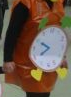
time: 7:49
